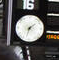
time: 1:32
